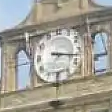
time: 3:17
